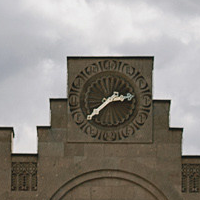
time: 2:38
